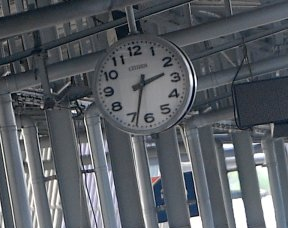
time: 2:33
